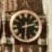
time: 2:29
